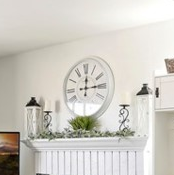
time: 12:14
